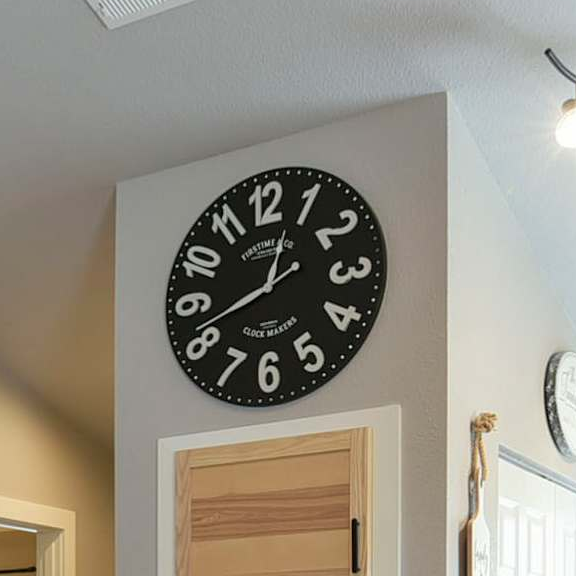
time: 12:41
